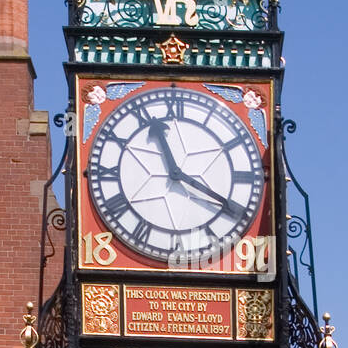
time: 11:19
